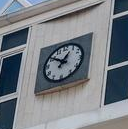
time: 12:50
